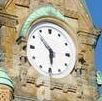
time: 5:52
